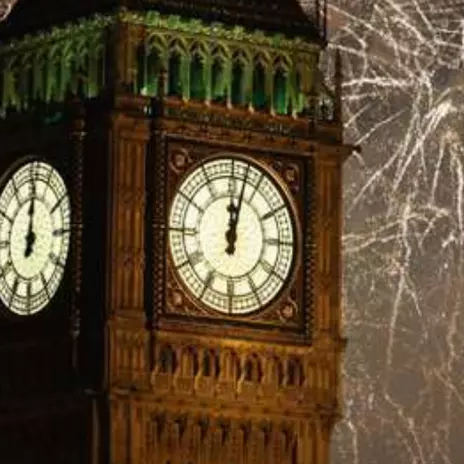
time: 12:02
